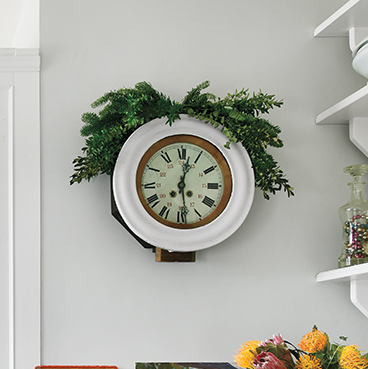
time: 12:28
